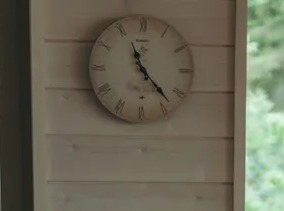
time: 11:23
